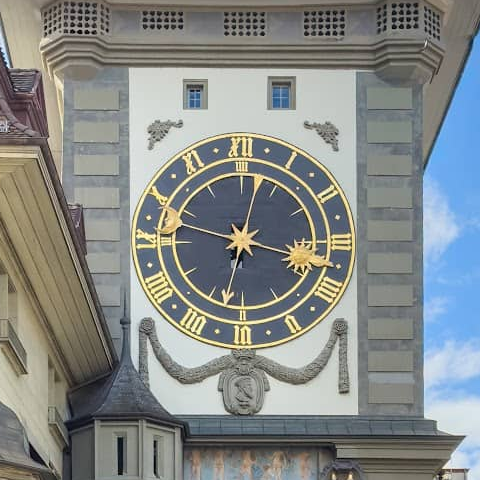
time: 3:32
